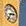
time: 2:36
